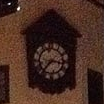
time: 7:15
